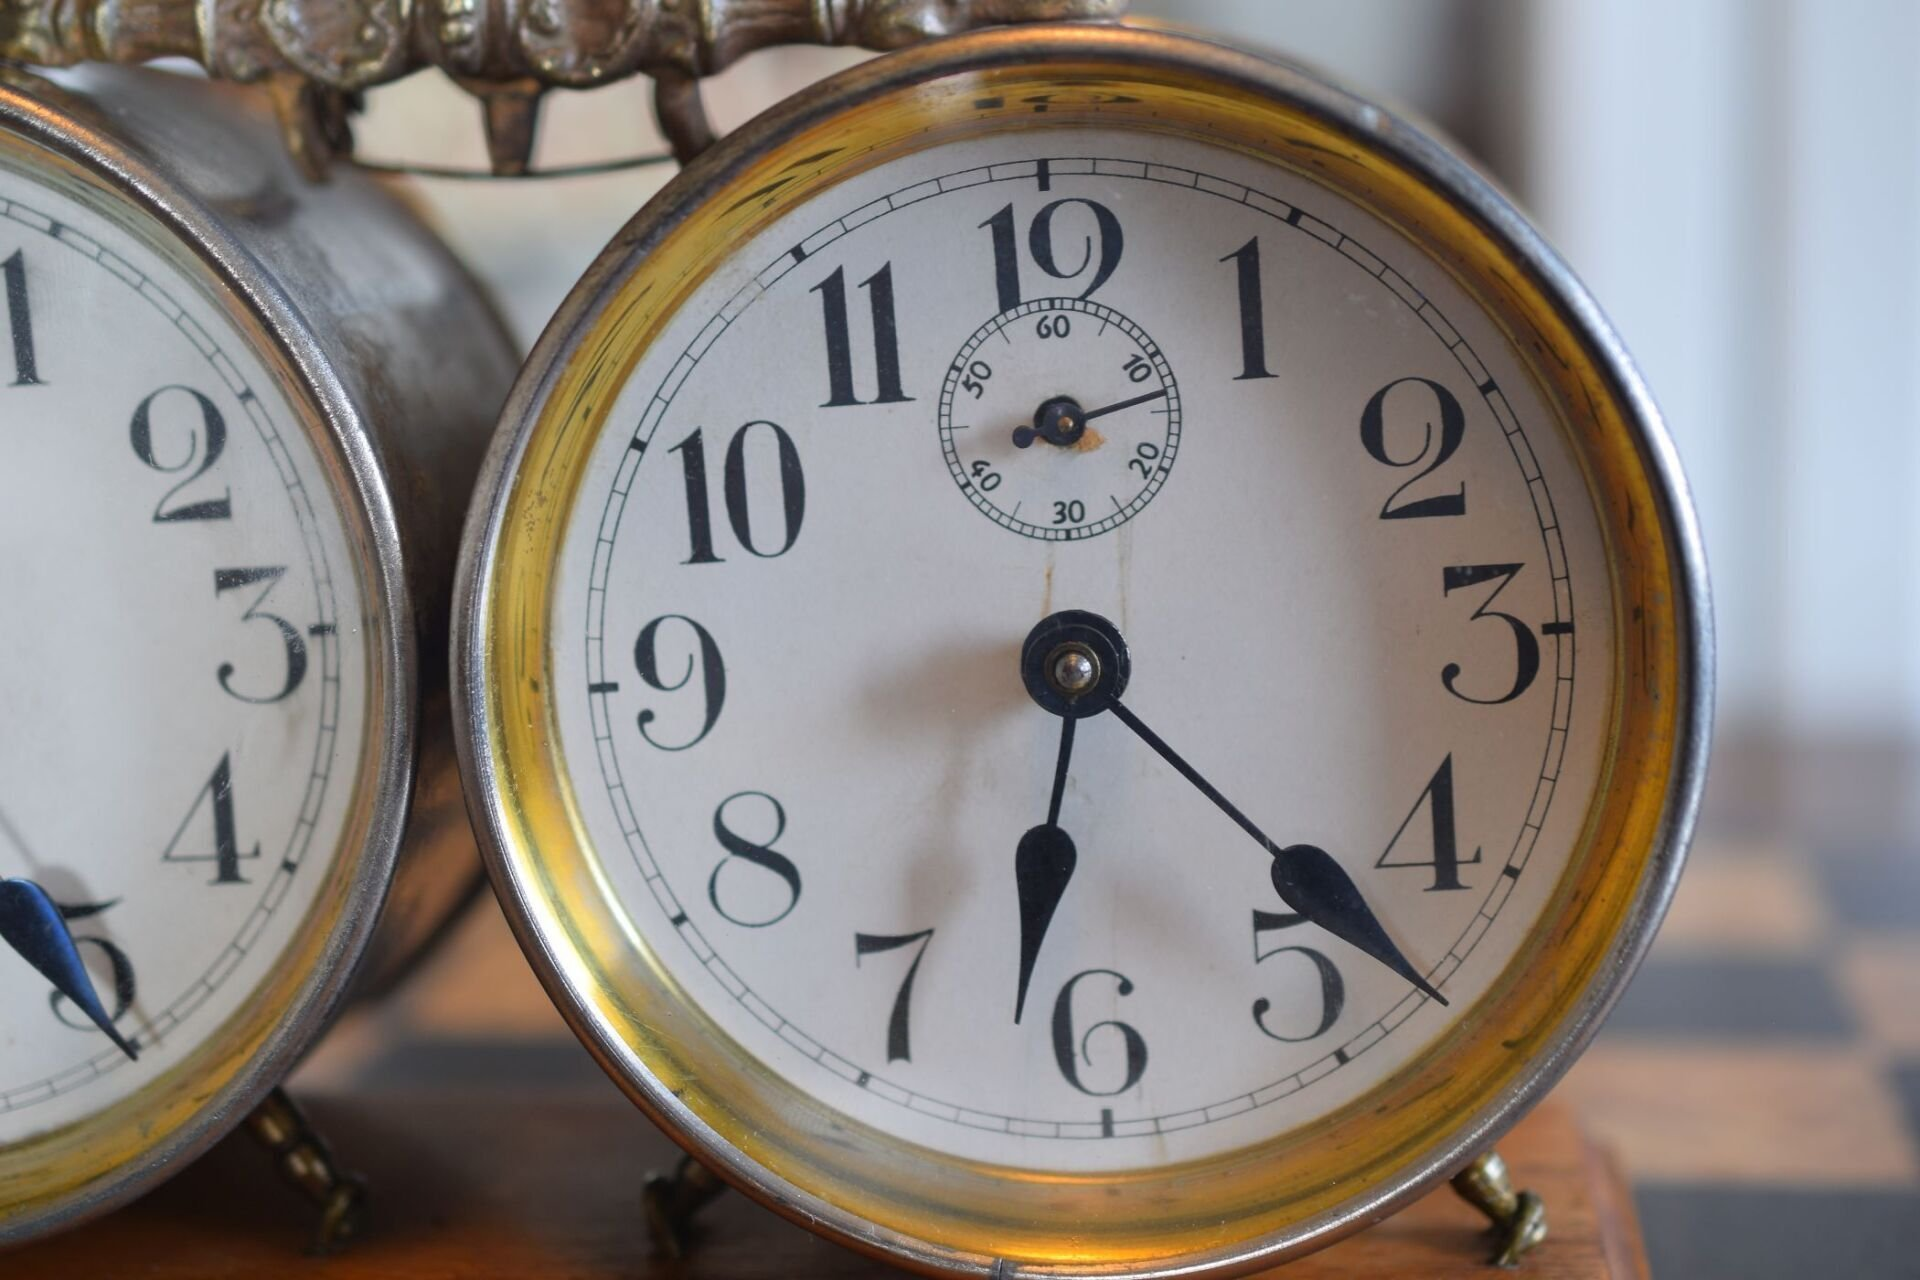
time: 6:22
